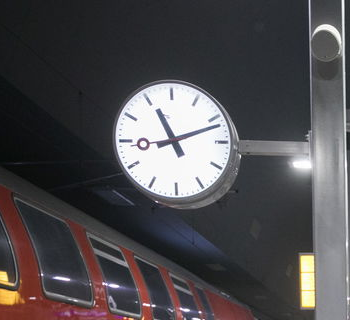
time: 11:11
